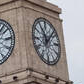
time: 11:07
